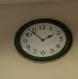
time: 1:53
